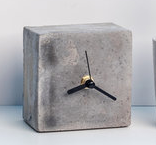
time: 8:20
